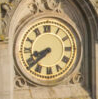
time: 8:38
